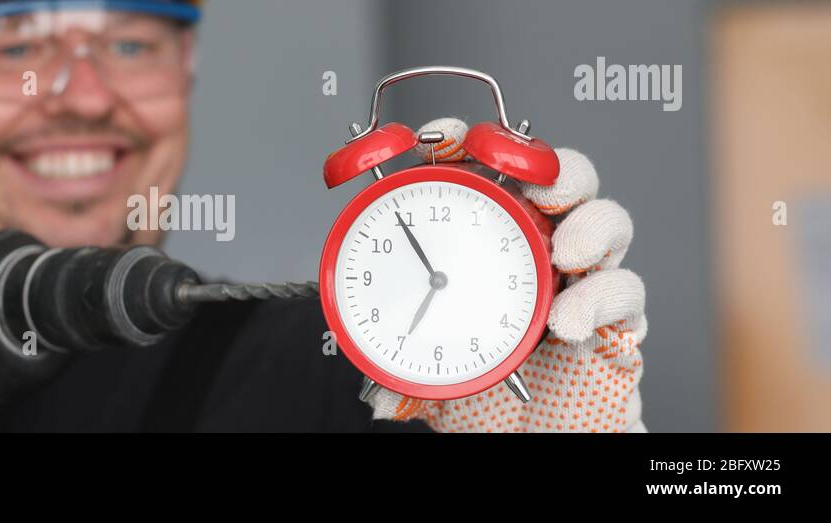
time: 6:54
